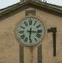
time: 6:16
